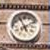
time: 5:09
